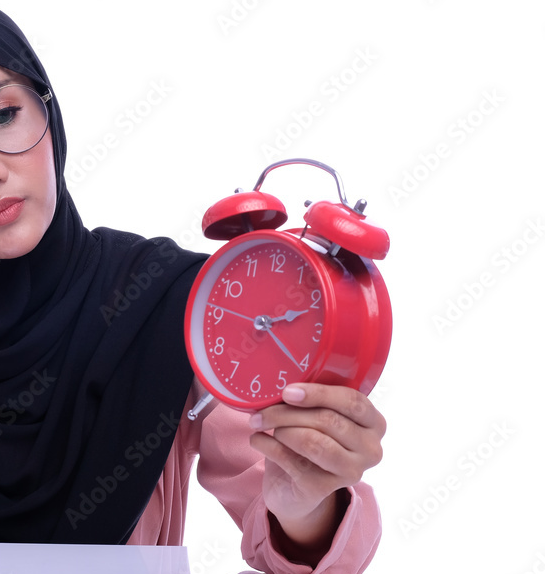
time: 2:21
